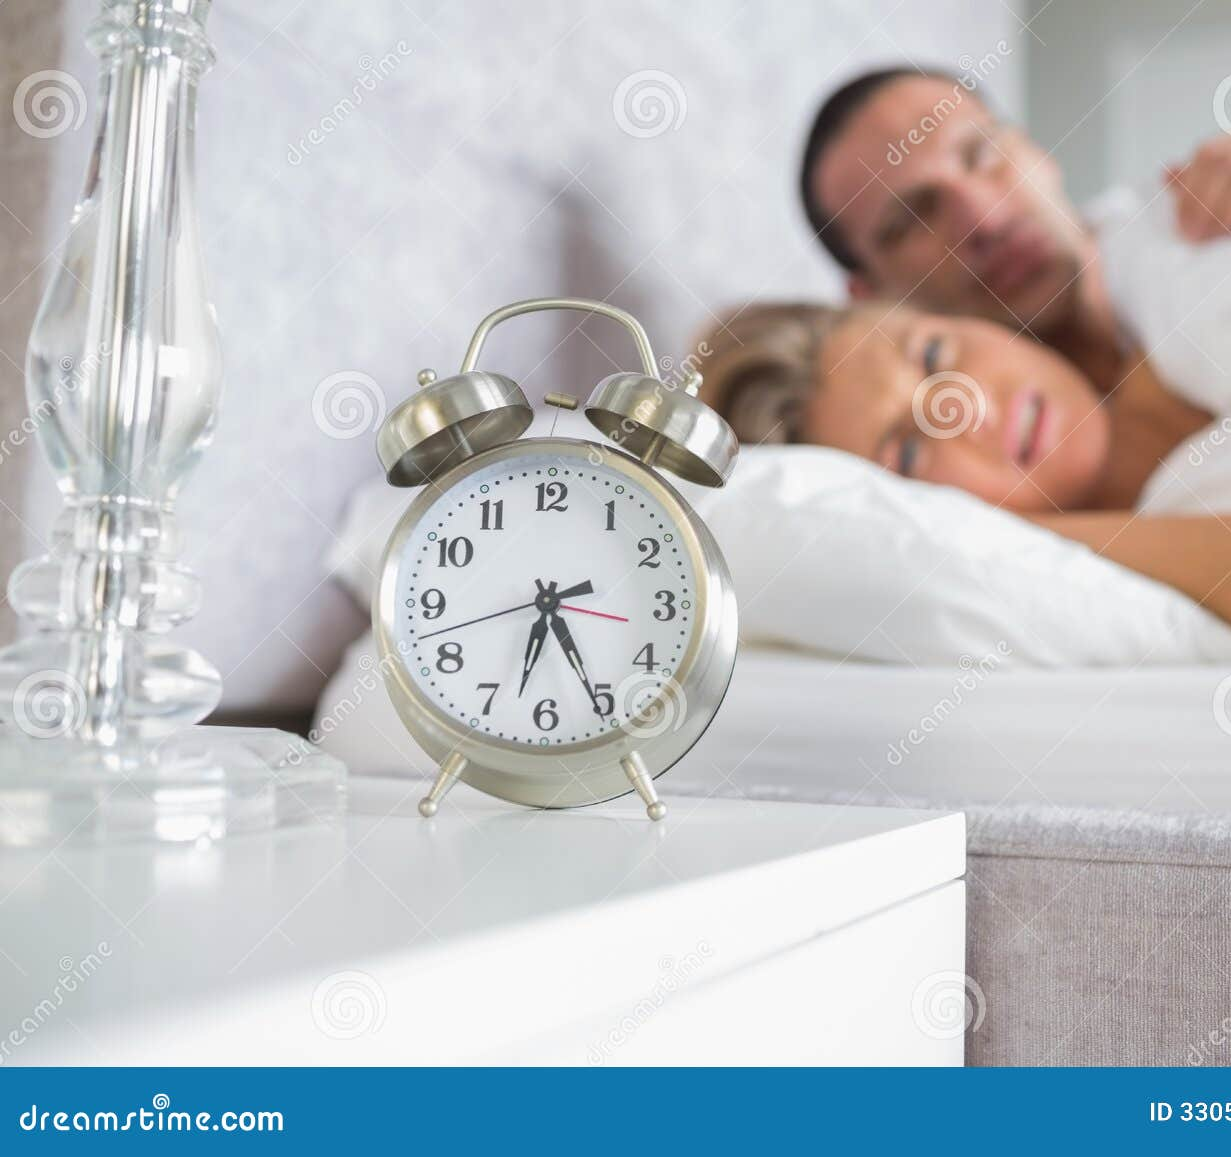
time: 6:25
